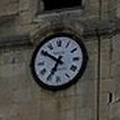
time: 6:50
